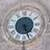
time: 5:26
